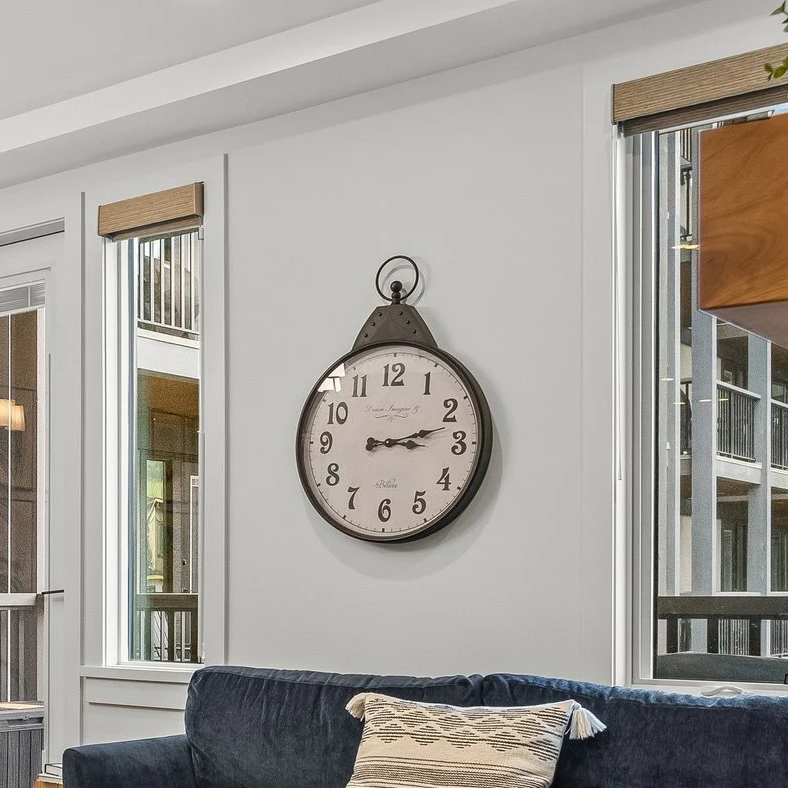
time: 3:12
